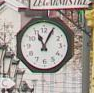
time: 11:04
